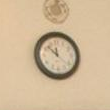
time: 11:52
